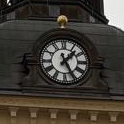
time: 1:25
